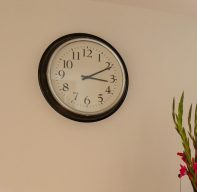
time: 3:10
